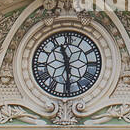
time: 11:29
